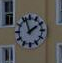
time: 1:56
